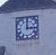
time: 2:59
